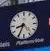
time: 8:34
